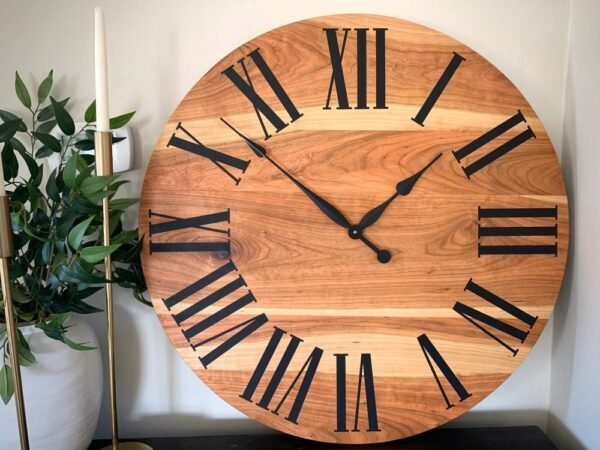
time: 1:52
